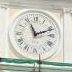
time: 11:11
